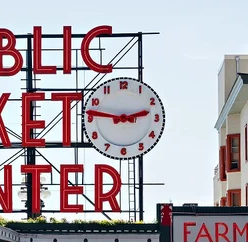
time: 2:46
